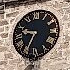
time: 9:34
